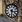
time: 3:30
